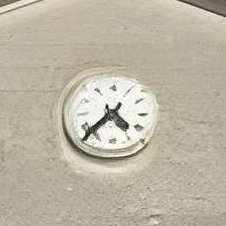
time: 4:37
